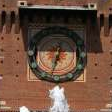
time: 12:32
